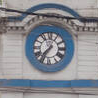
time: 7:34
